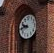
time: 9:44
